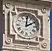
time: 2:01
